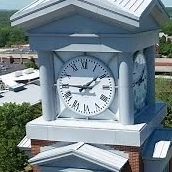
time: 1:45
